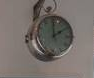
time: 2:00
